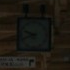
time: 9:41
